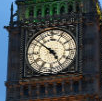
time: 4:51
